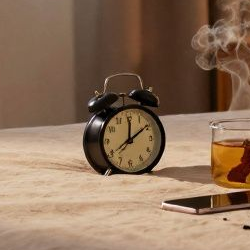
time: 12:09
